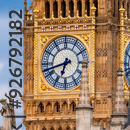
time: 6:42
